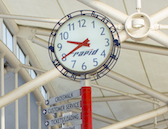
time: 9:40
